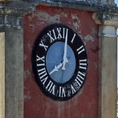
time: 8:01
